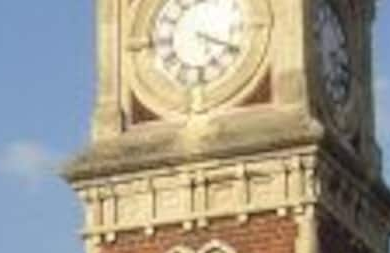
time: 5:19
